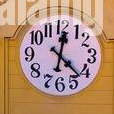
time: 12:21
